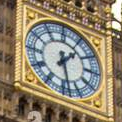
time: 1:28
